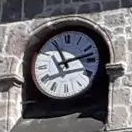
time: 11:12
